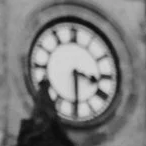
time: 3:29
